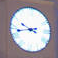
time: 9:42
